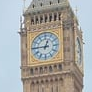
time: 12:45
